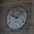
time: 10:07
